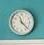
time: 11:22
